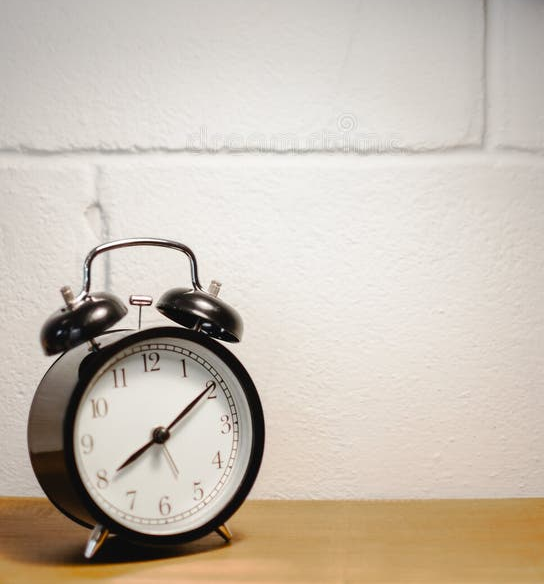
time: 8:09
